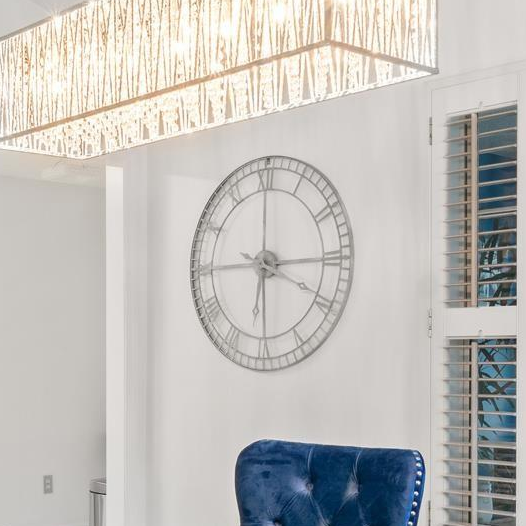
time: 6:14
